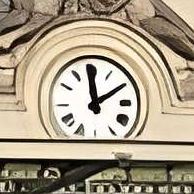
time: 1:59
